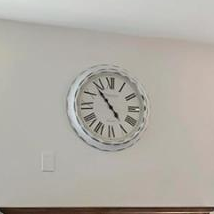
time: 4:53
